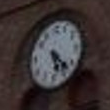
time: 5:22
